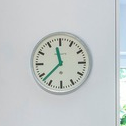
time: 11:37
